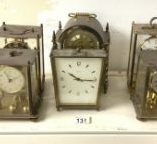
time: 10:15
